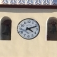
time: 4:11
